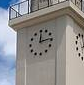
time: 12:14
